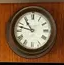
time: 10:47
